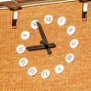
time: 8:56
